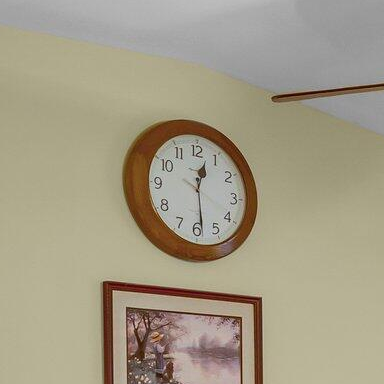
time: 12:28
